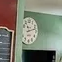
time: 8:12
